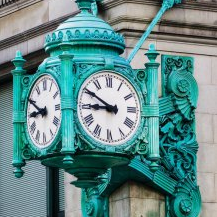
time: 8:50
